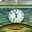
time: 11:35
